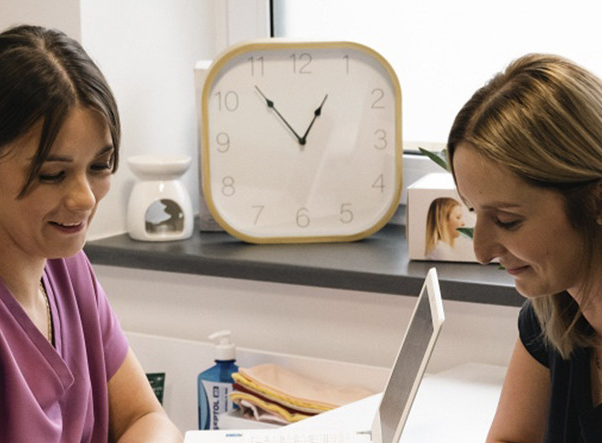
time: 12:53
